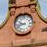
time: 9:42
